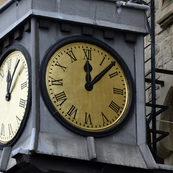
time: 12:07
